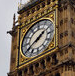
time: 1:39
